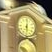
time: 6:01
